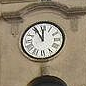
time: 11:55
